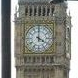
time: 4:00
